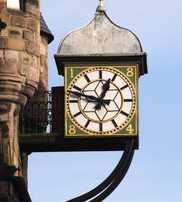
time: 12:47
